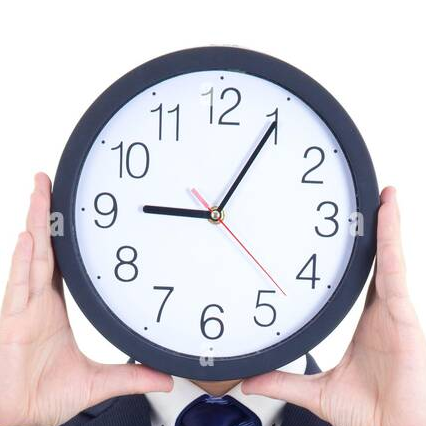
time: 9:05
